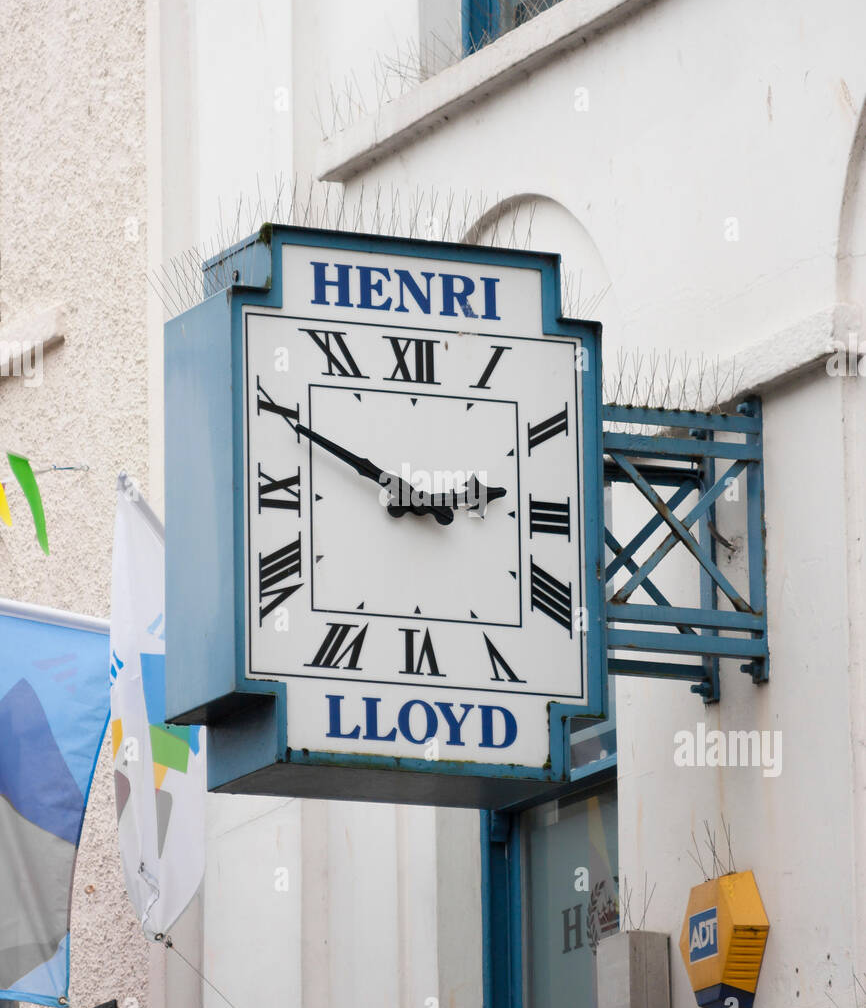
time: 2:49
